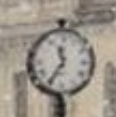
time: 11:35
